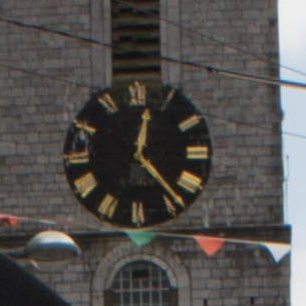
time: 12:23
